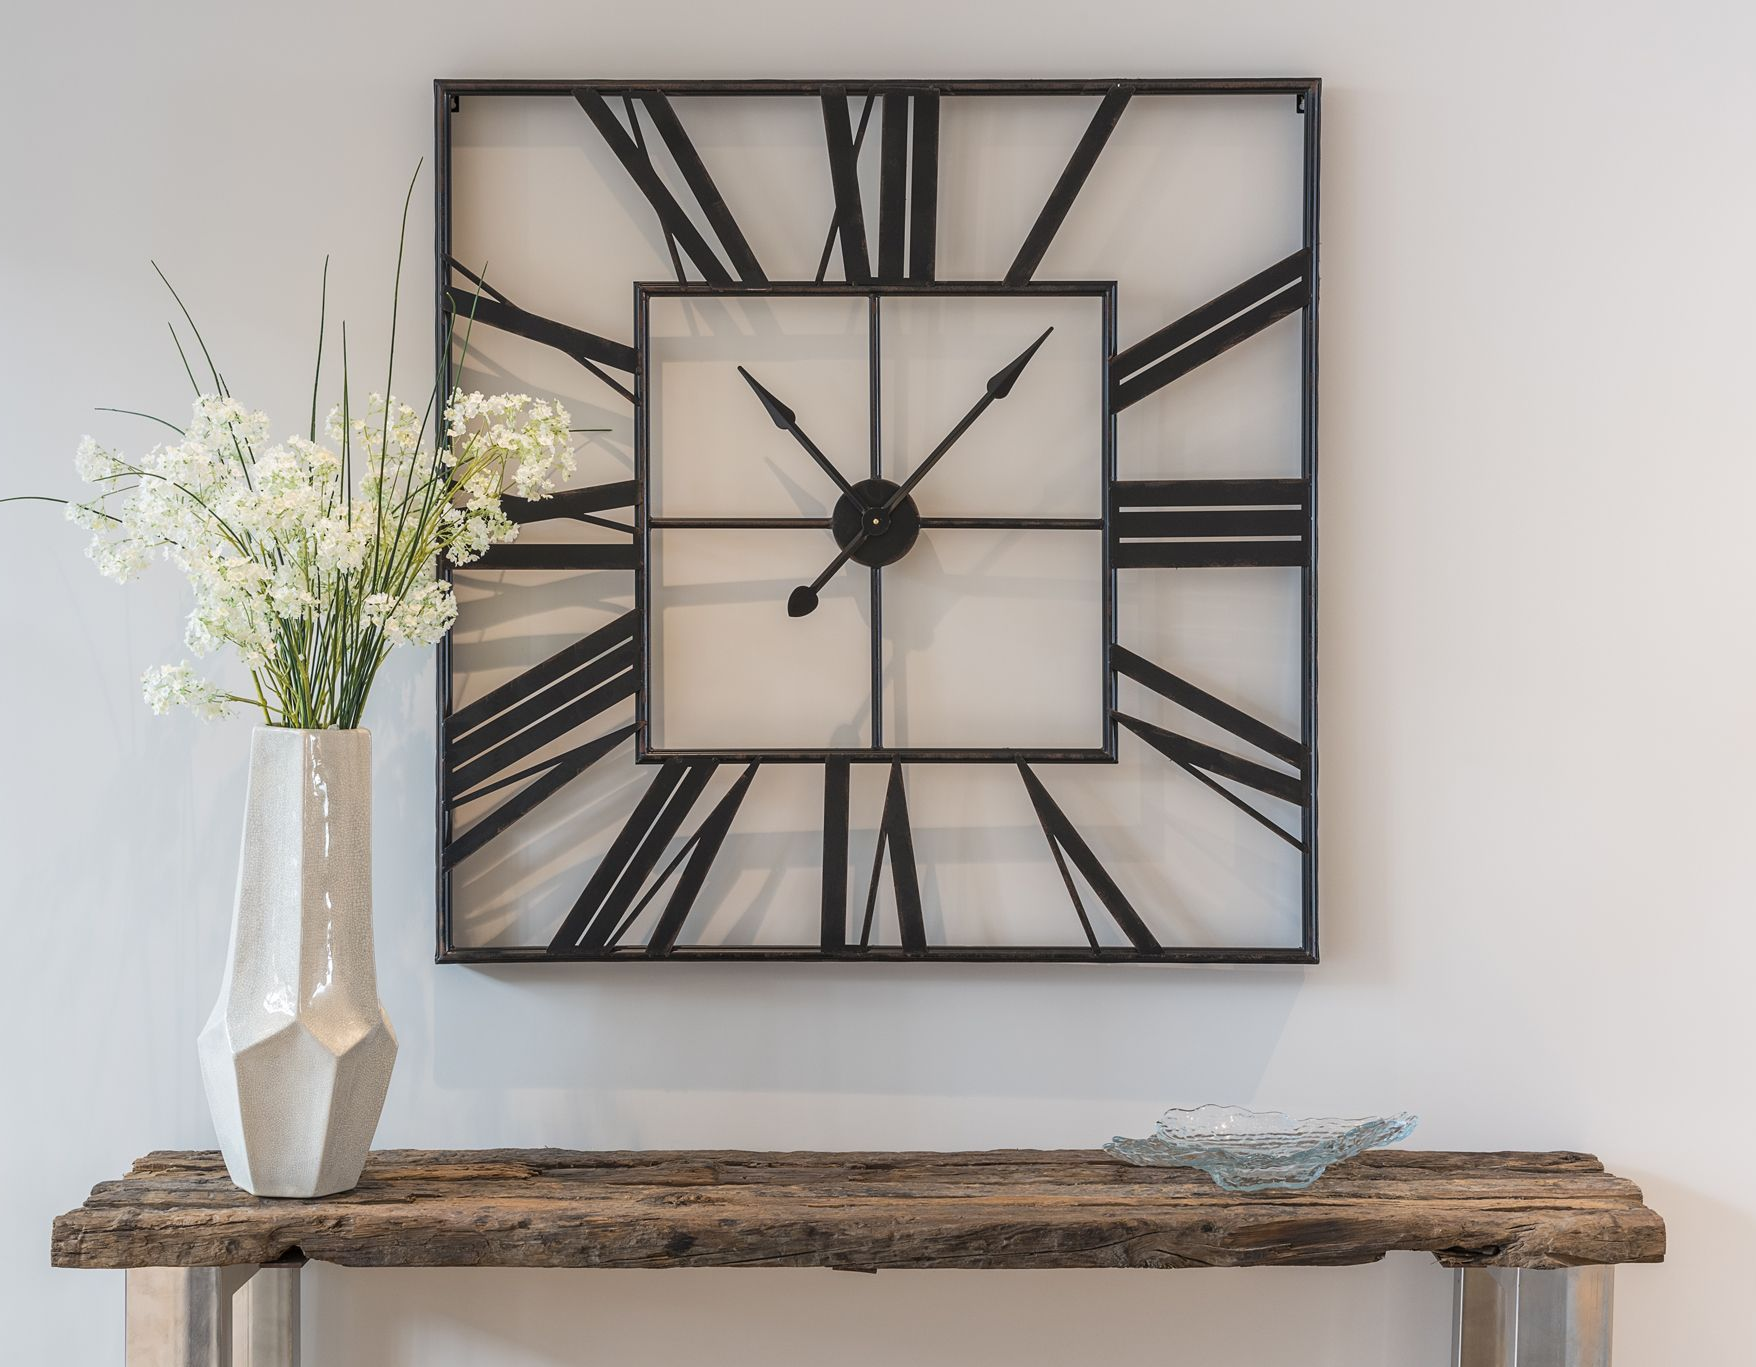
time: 1:14
